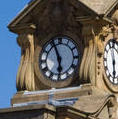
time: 5:55
